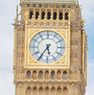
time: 5:35
